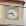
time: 4:44
